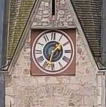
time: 1:33
